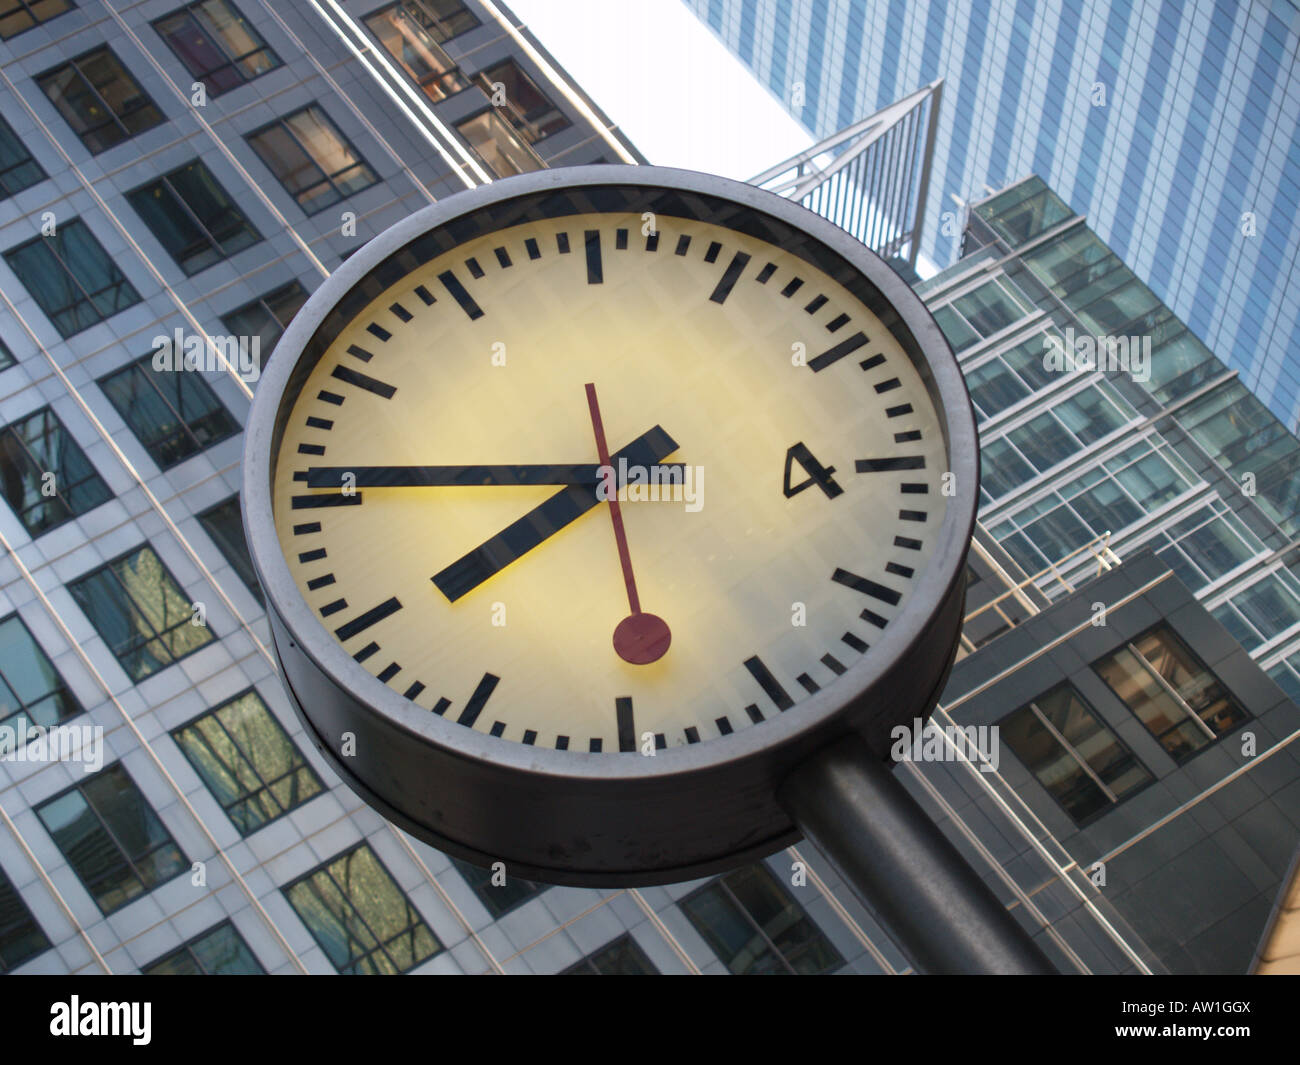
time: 7:46
